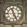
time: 11:25
